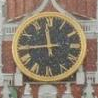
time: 11:44
